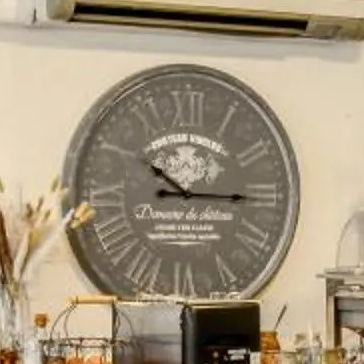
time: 10:14
